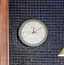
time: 12:09
